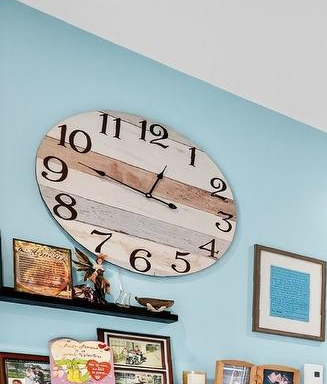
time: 12:47
